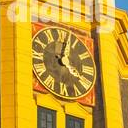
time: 4:02
